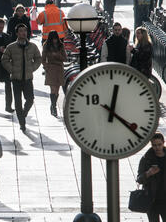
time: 12:21
